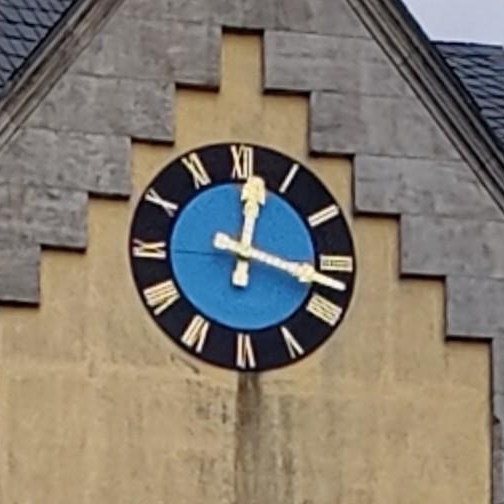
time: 12:17
